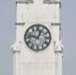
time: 12:47
